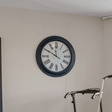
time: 11:49
